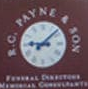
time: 9:08
